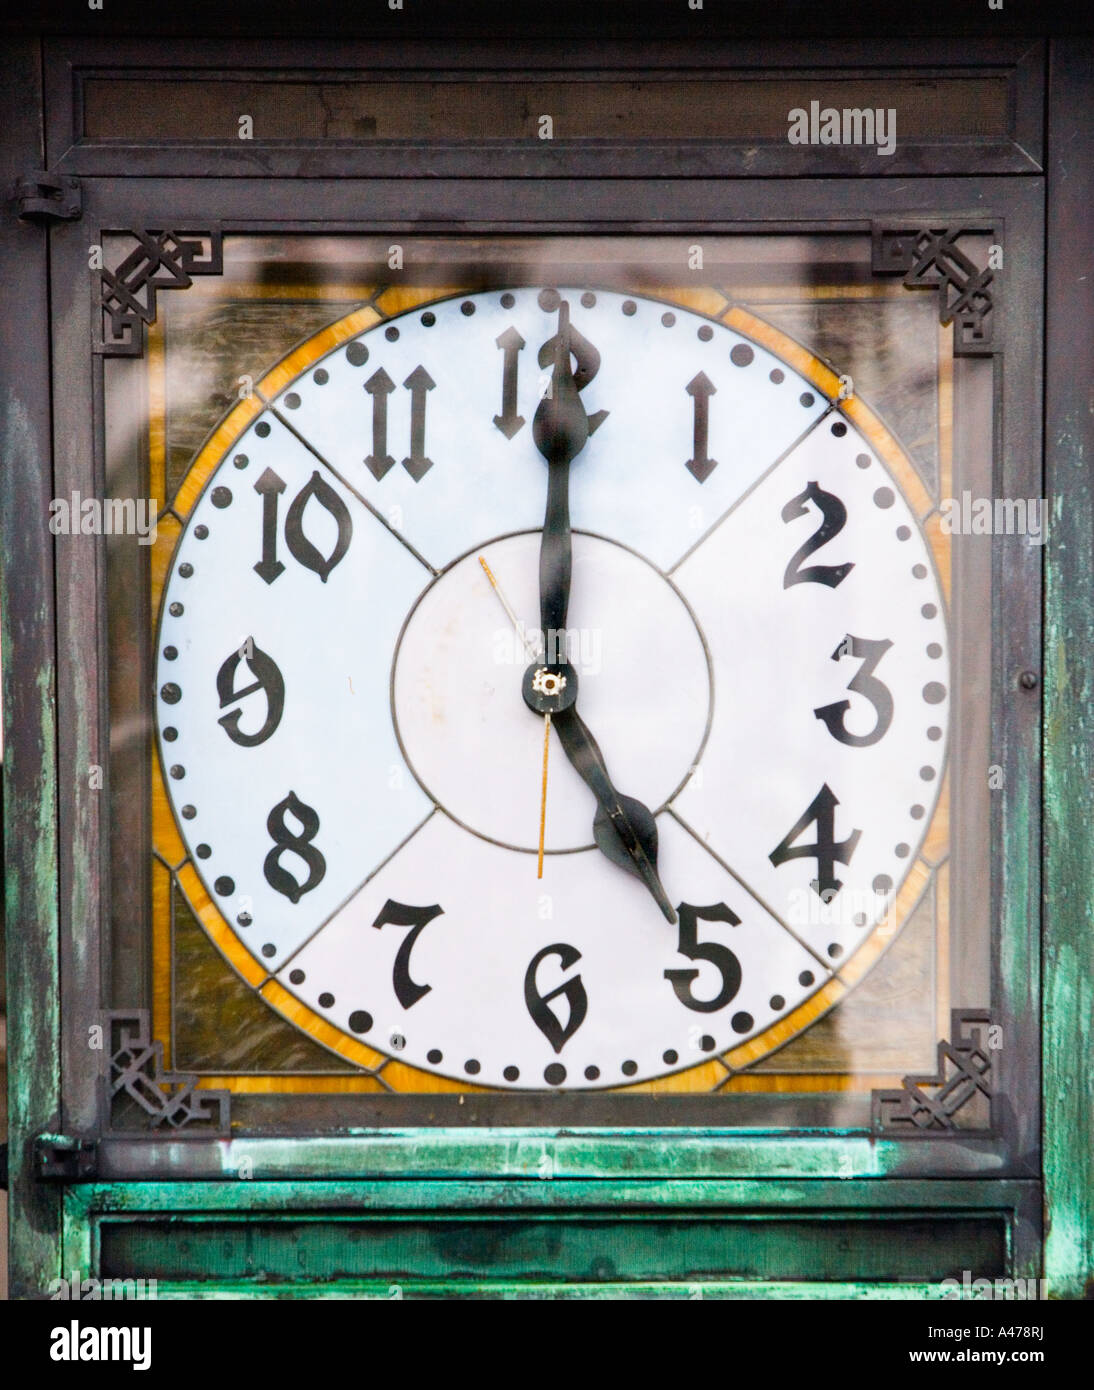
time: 5:00
